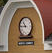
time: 10:45
